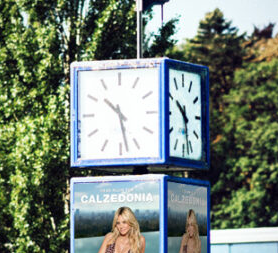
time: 10:28
